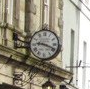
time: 9:18
